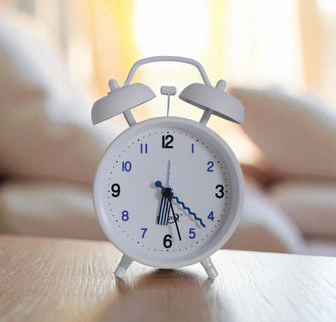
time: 6:27
